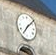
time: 7:07
